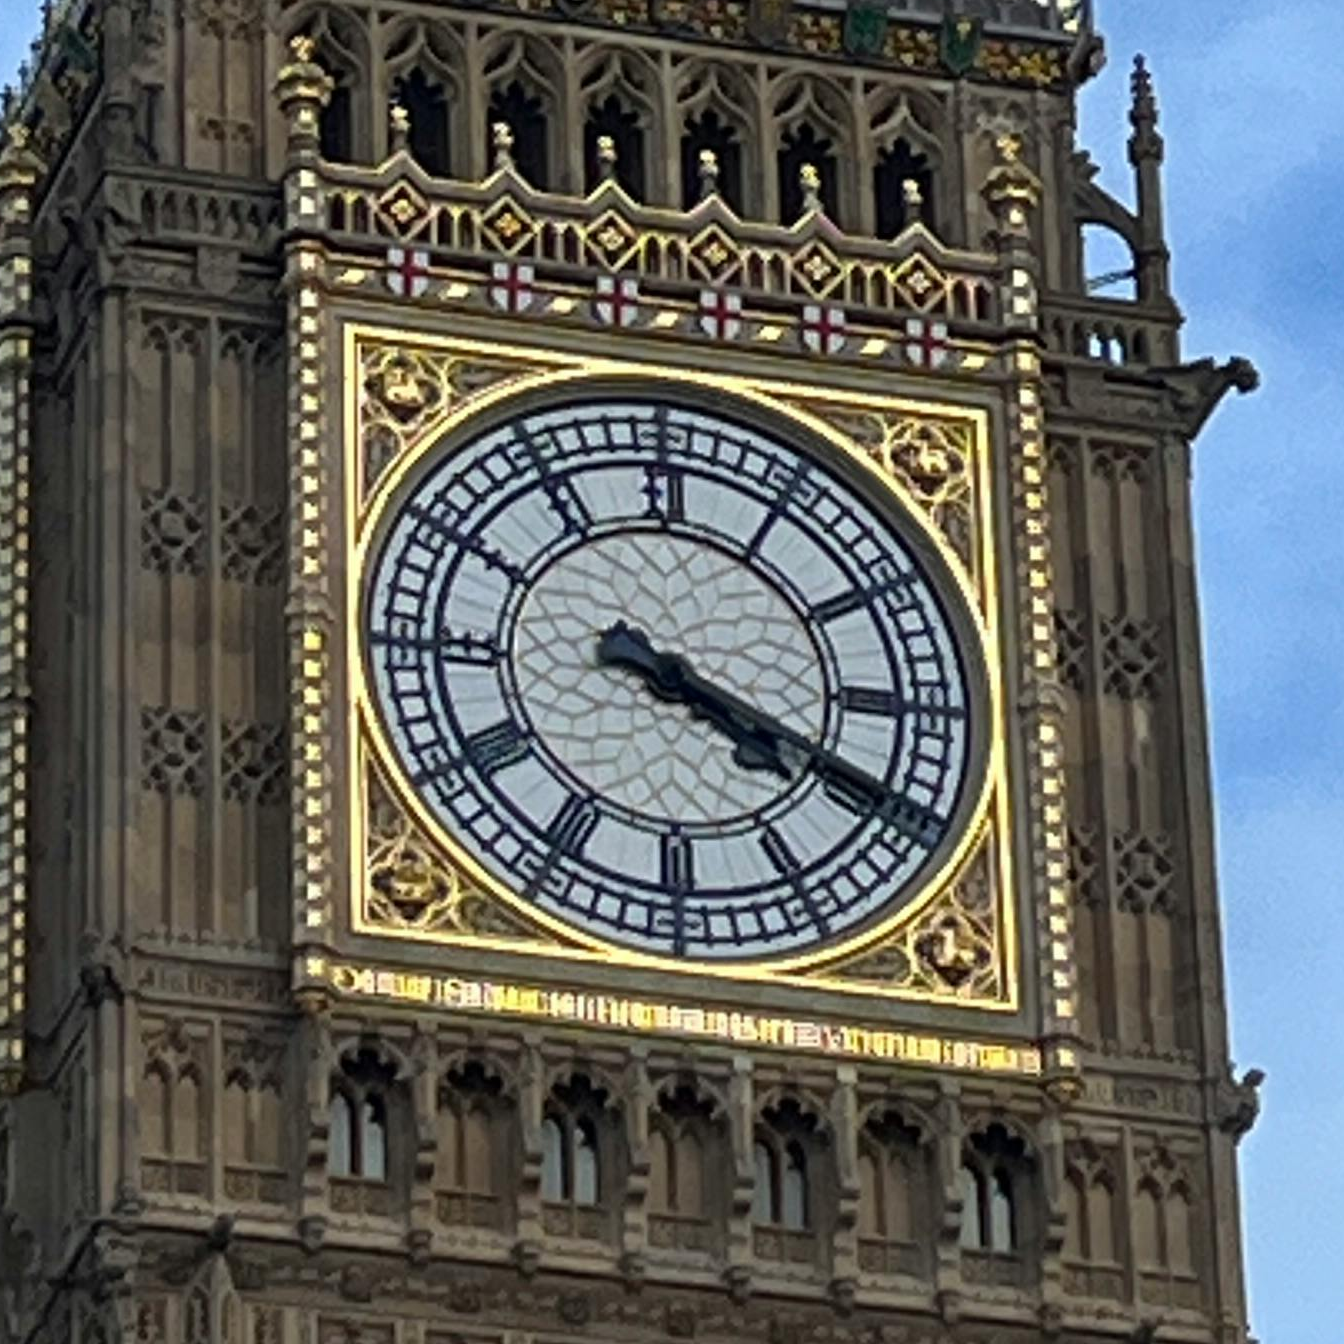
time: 4:18
